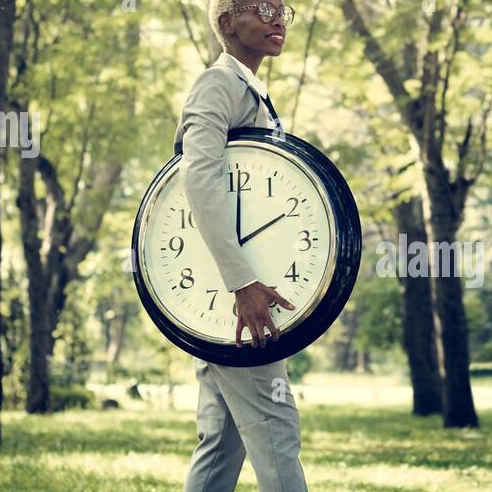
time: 2:00
